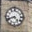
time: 4:41
